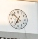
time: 6:52
